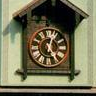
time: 12:24
